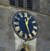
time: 12:26
